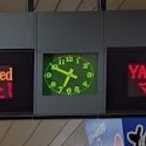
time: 6:49
